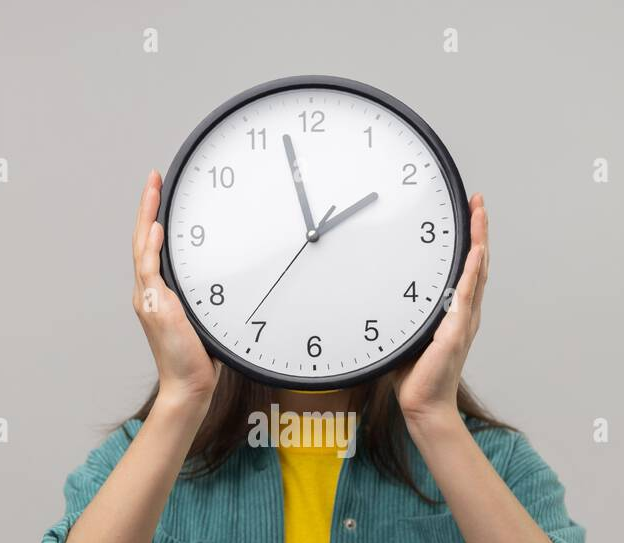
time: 1:57
